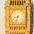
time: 8:32
